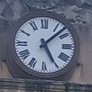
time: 5:07
